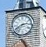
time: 2:40
